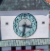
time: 3:32
